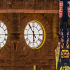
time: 5:54
